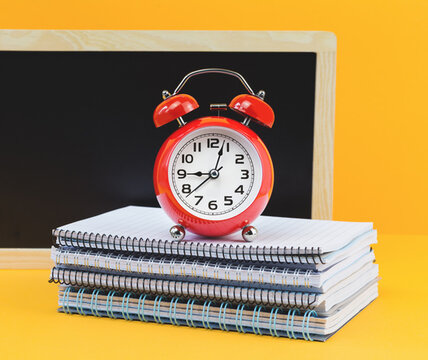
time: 9:03
